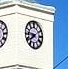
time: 7:46
